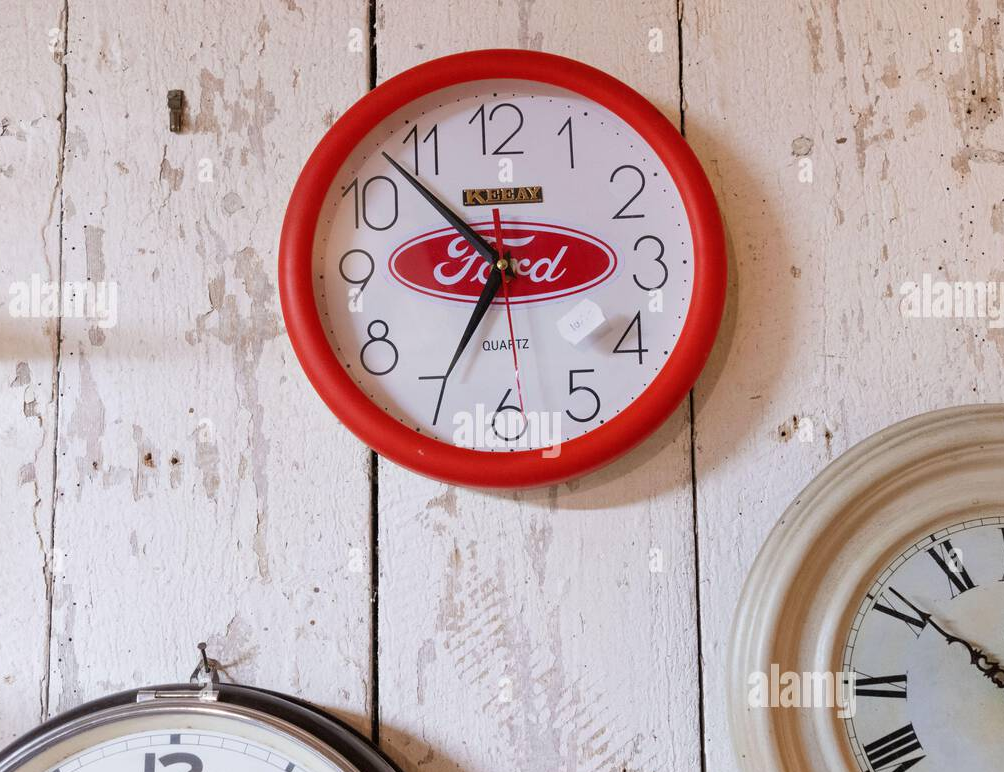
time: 6:52
